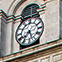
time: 7:27
